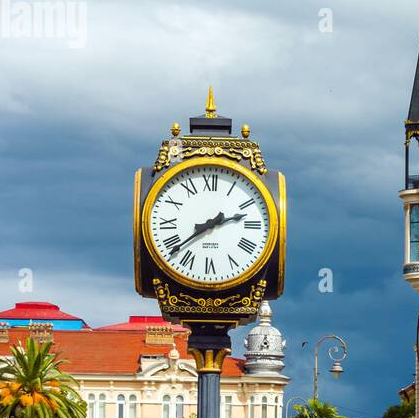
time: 2:38
